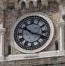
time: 10:18
